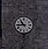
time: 10:45
